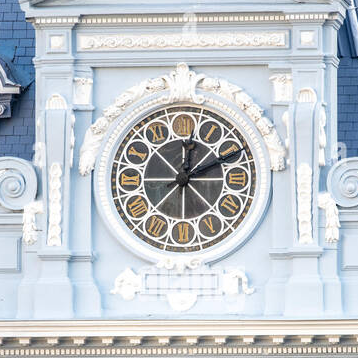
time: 12:10
